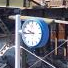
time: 9:44
